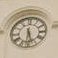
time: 5:31
